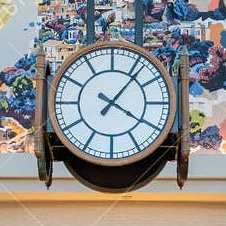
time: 4:06
